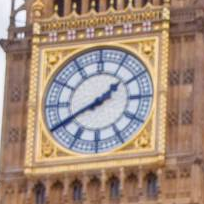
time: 1:40
